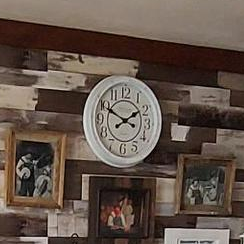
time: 1:49
